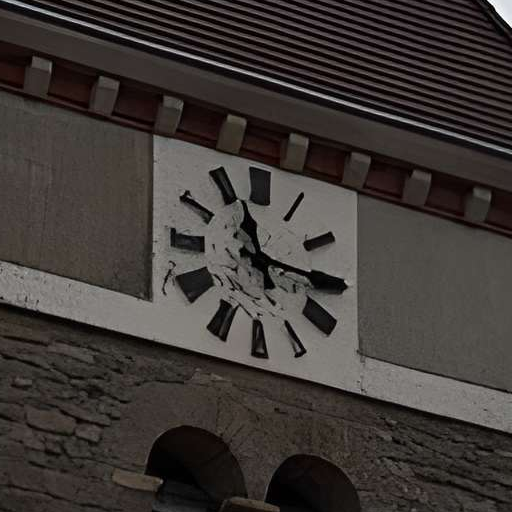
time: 11:15
